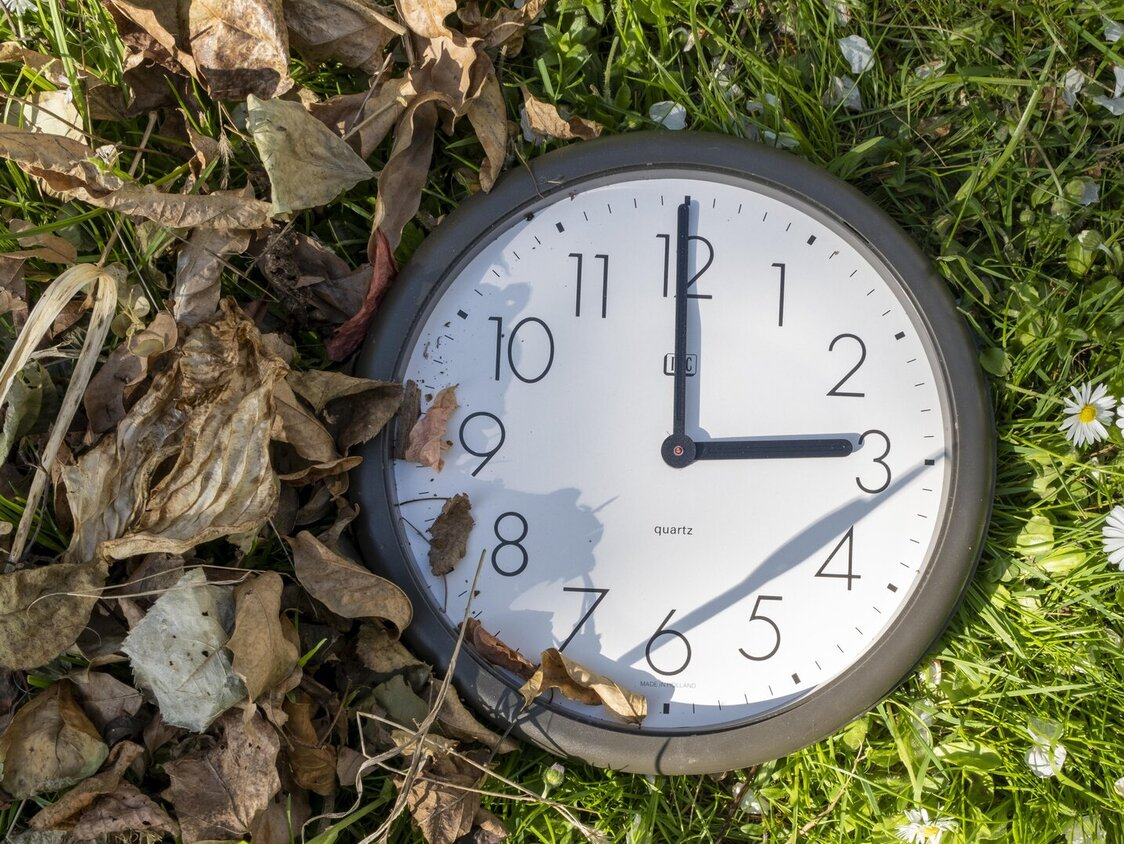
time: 2:59
